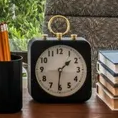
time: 1:31
